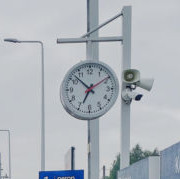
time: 6:52
